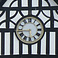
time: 5:44
